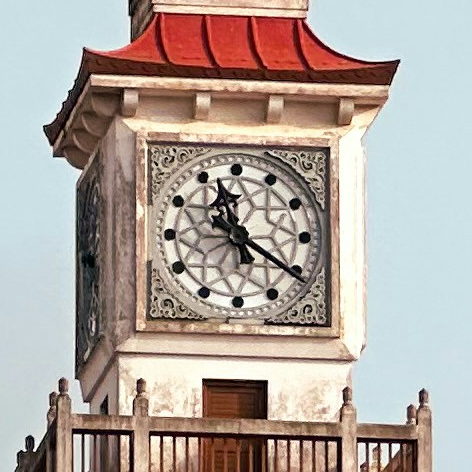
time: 11:20
